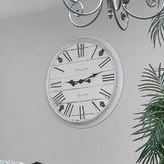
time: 9:12
